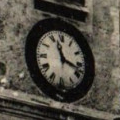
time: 11:17
